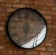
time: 12:32
